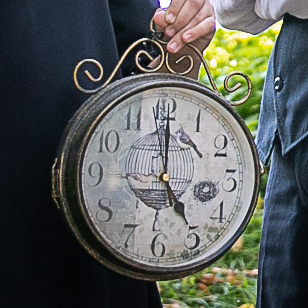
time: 5:00
